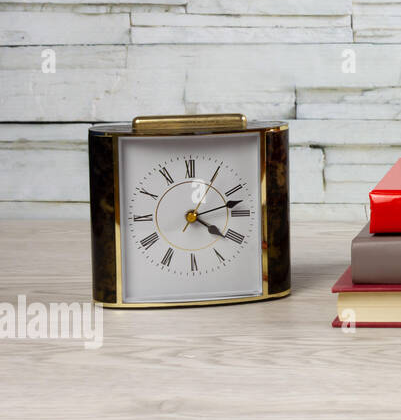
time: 4:12
